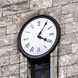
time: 4:05
